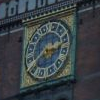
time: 2:40
